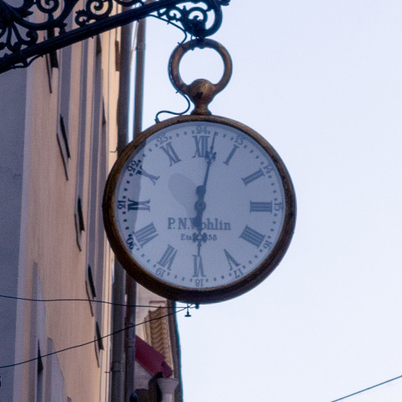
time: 6:01
